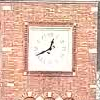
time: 12:40
